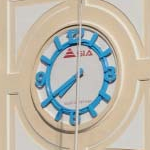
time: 7:40
